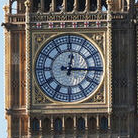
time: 12:15
